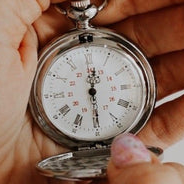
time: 12:29
